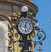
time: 12:23
